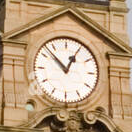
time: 12:52
